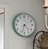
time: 4:33
